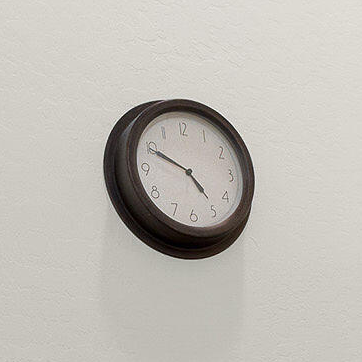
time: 4:49
